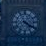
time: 4:20
